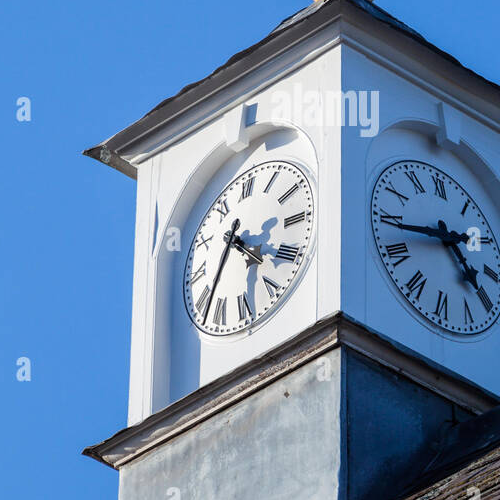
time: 4:33
